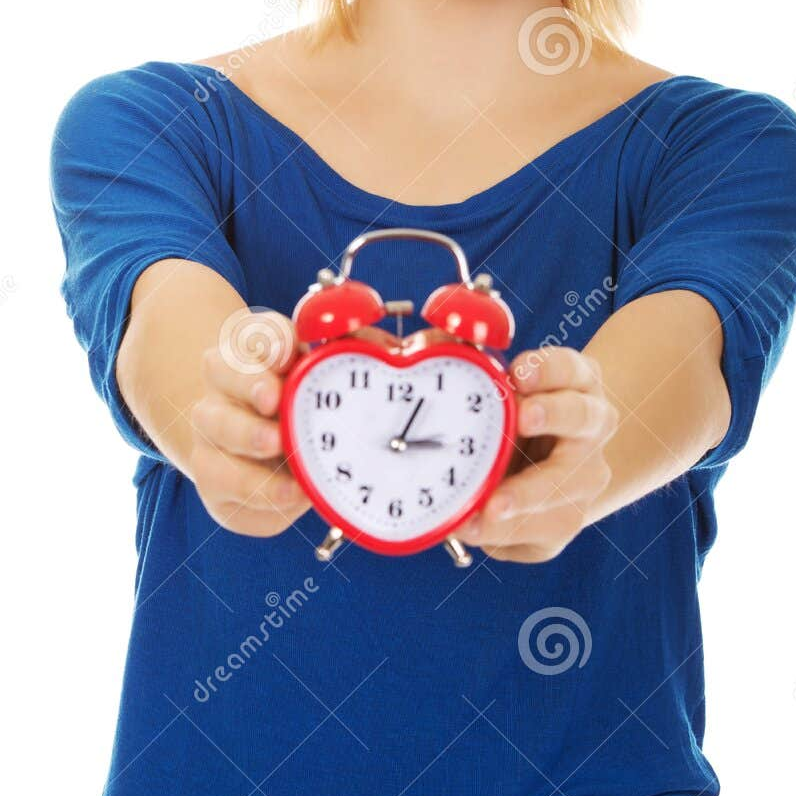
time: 3:04
